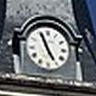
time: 4:56
